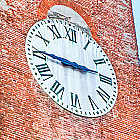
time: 2:45
